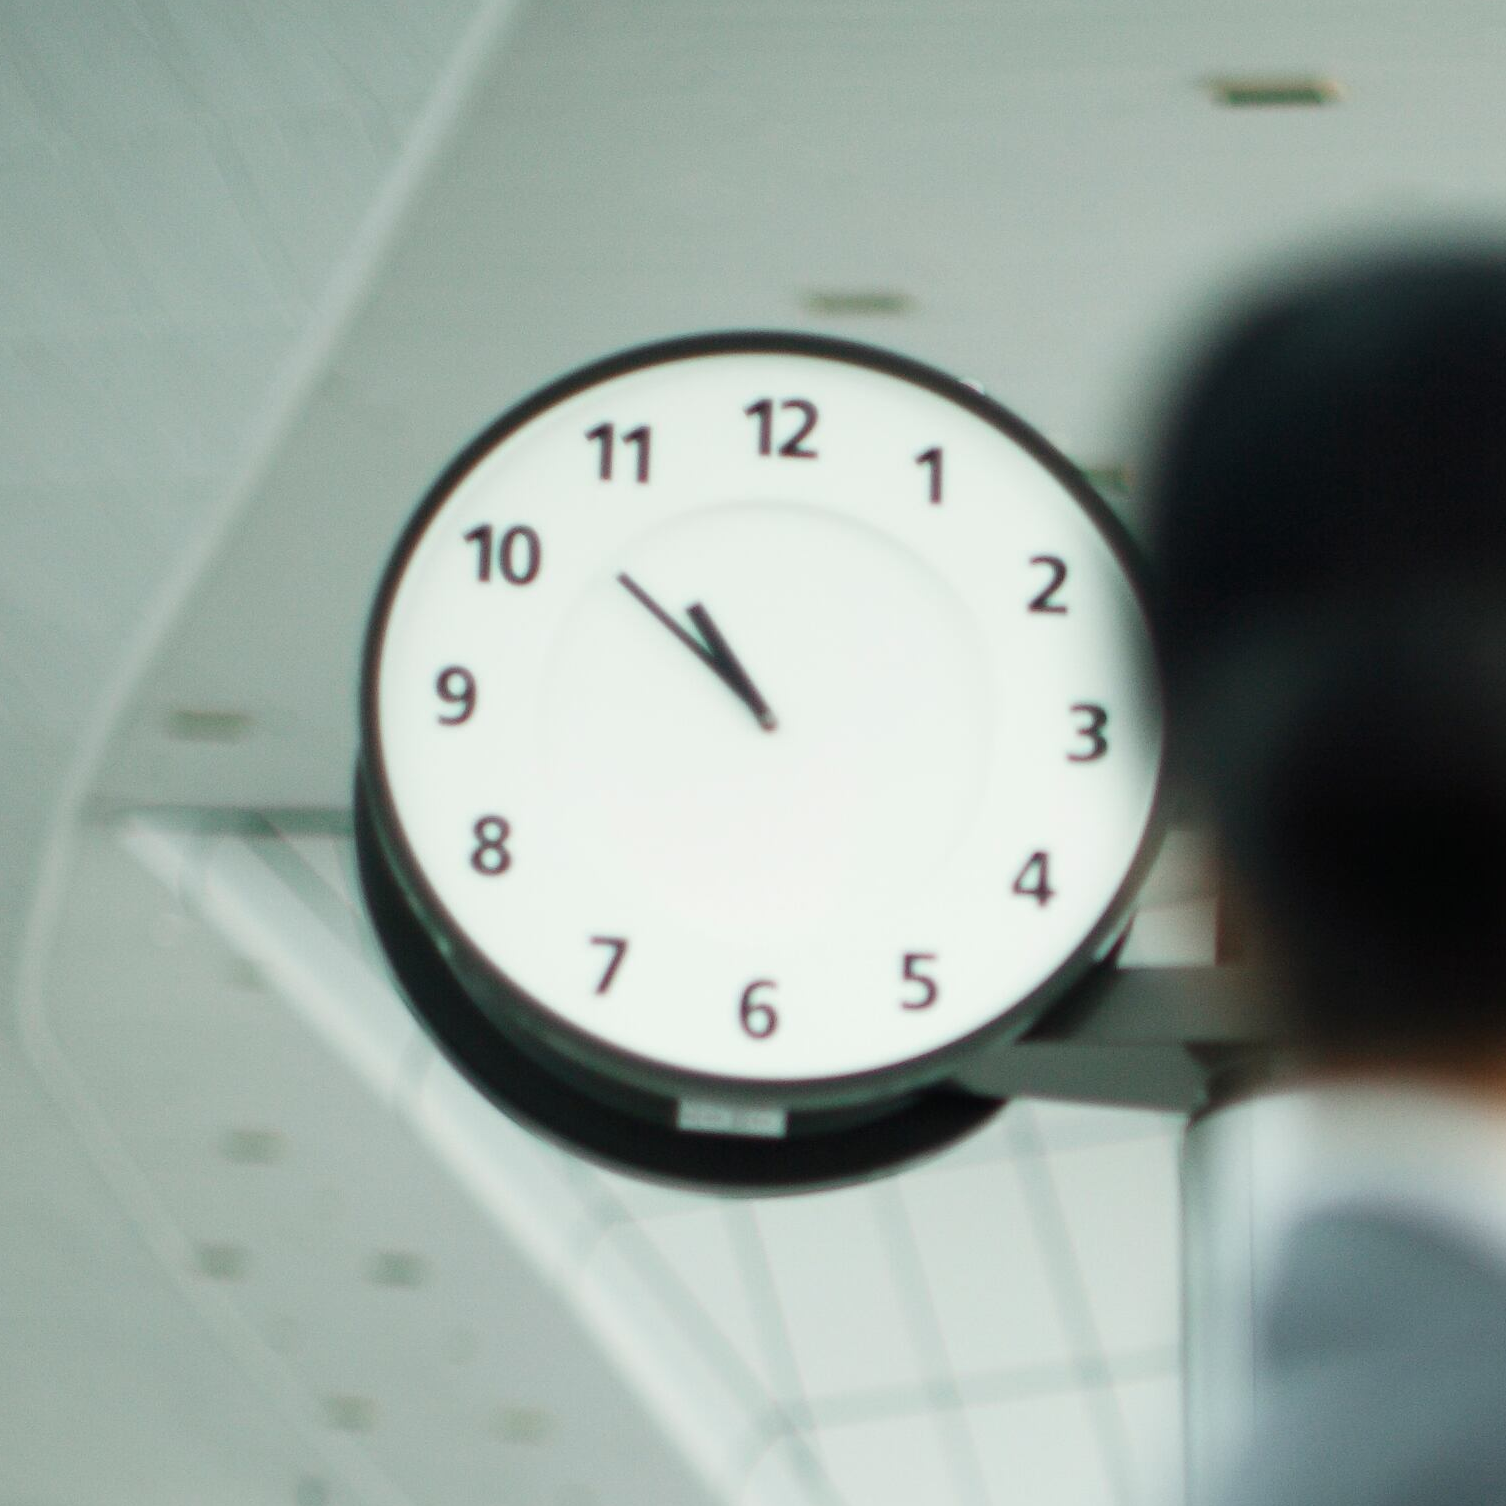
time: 10:52
